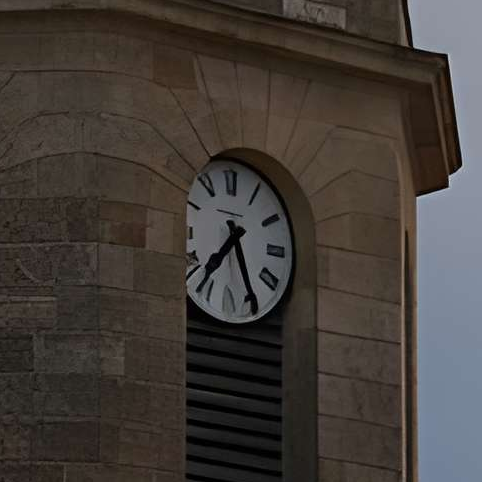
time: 7:25
